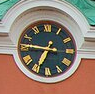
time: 6:46
